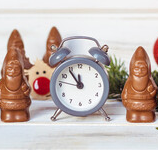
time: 11:54
